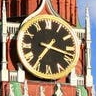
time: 7:17
